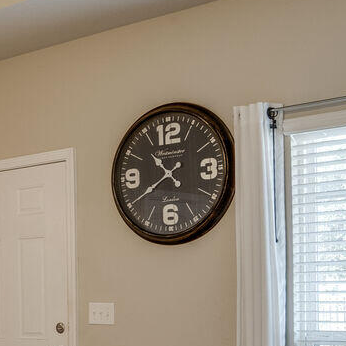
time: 10:39
